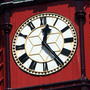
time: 12:23
